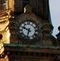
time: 9:33
